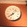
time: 8:07
